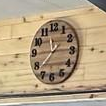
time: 11:37
